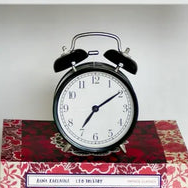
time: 7:09
